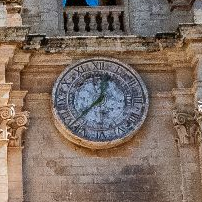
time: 12:37
